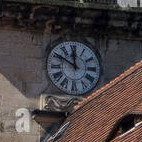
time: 11:49
